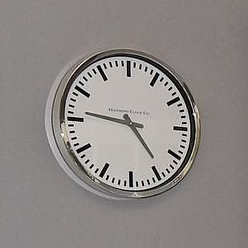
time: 4:46
